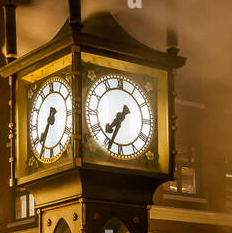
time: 7:34
